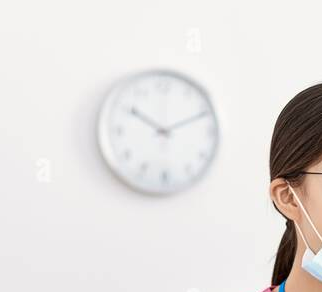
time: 10:10
